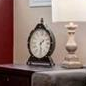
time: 1:28
